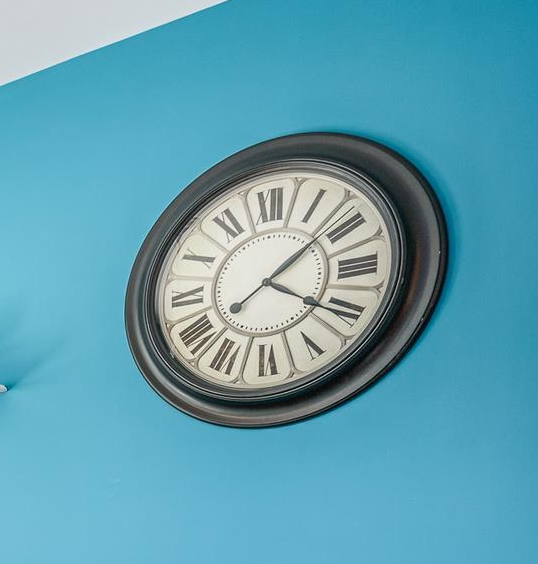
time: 4:08
